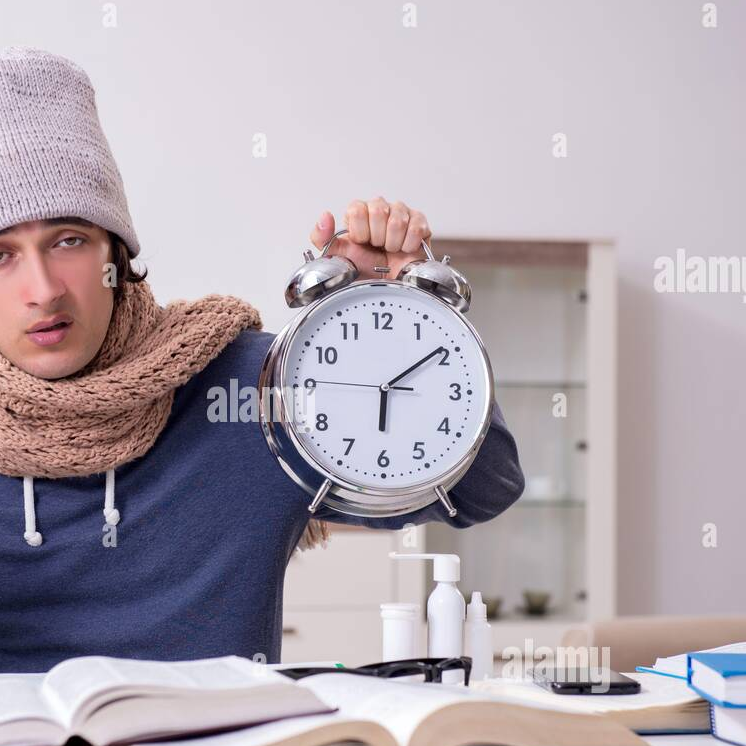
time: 6:09
